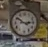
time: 2:50
